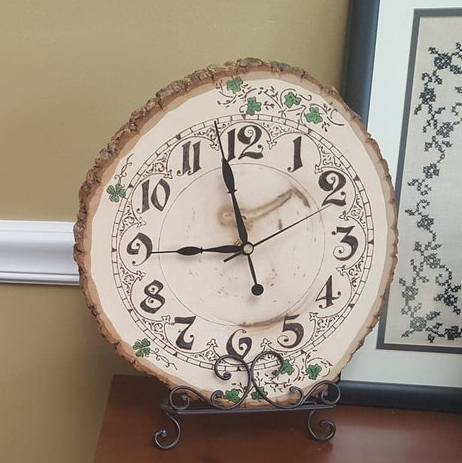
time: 8:58
